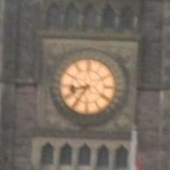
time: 8:35
